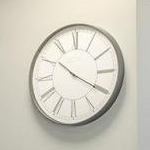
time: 10:19
